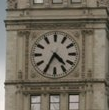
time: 4:34
